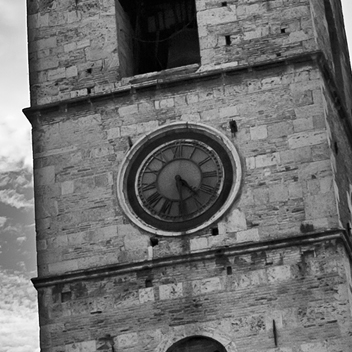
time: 4:28
